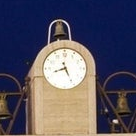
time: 8:25
